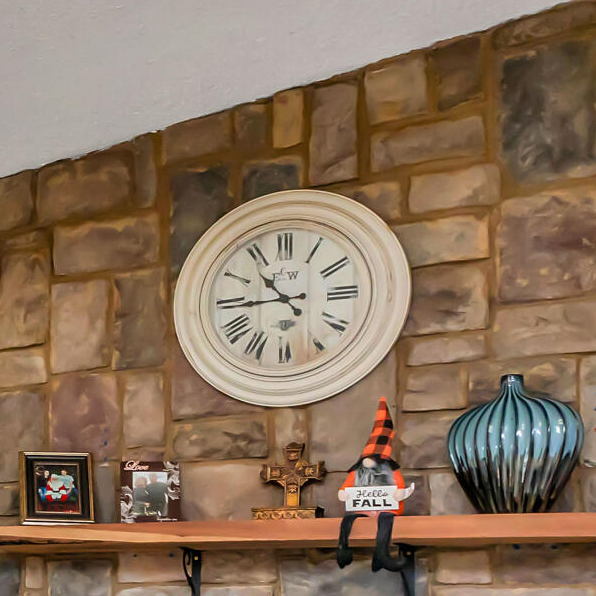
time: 10:45
